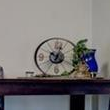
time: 10:02
